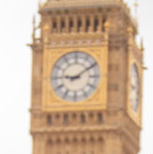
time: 9:09
